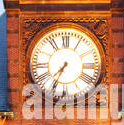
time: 7:34
